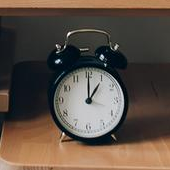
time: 1:00
